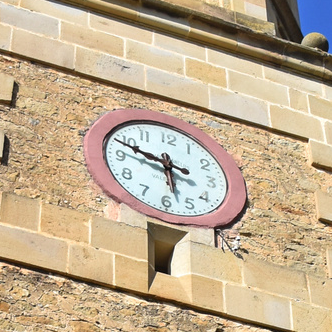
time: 5:48
